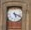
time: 5:18
